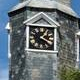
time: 1:20
